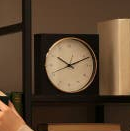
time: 10:11
